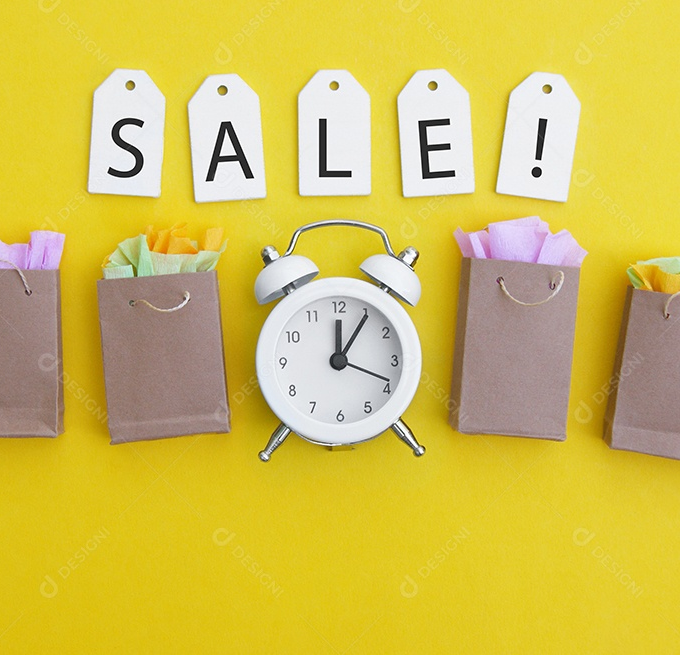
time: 12:05
